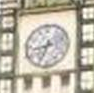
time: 8:34
